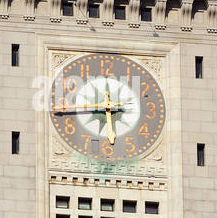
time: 5:43
